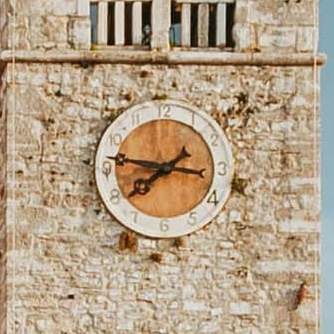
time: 7:46
